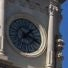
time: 1:18
